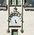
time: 5:26
